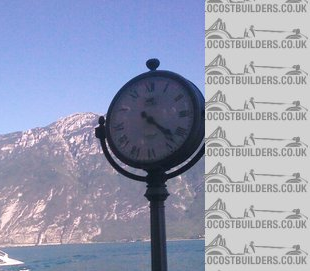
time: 4:22
